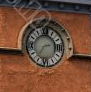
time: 2:36
